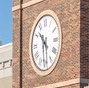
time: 10:30
